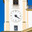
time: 4:21
